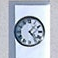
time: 1:23
